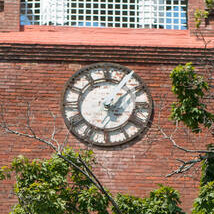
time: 4:07
